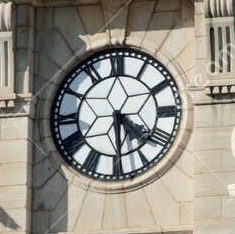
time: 4:29
